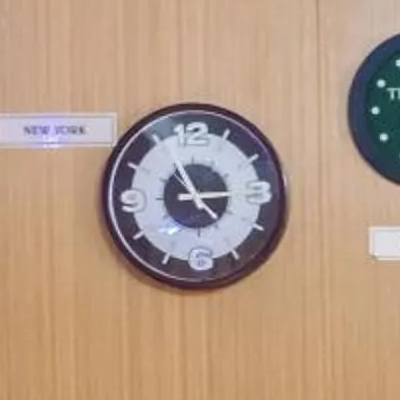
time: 2:55
